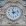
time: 11:12
